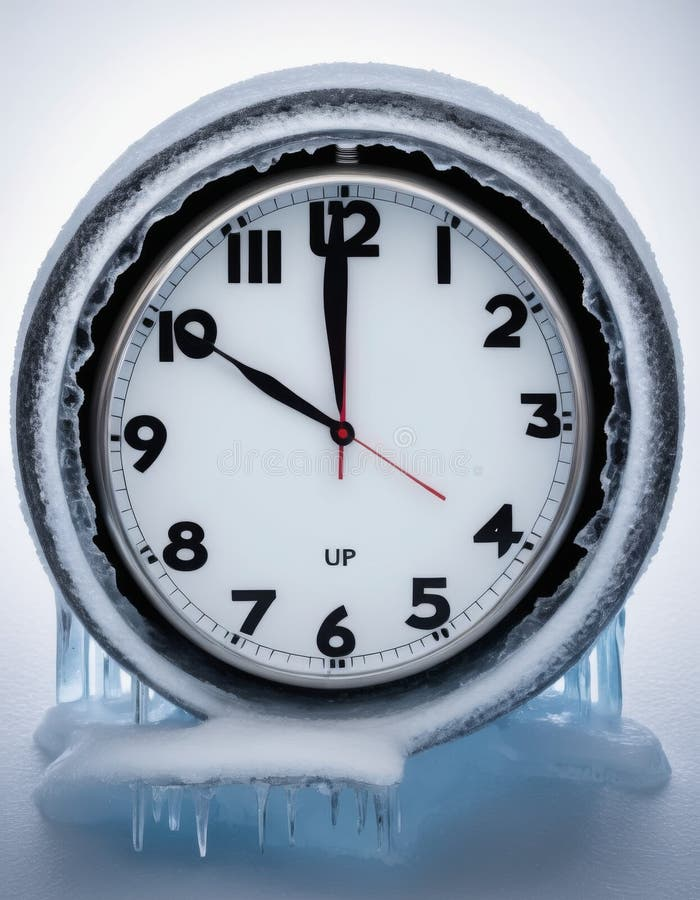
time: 9:59
